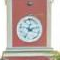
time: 12:12
